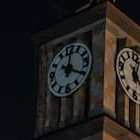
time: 12:19
